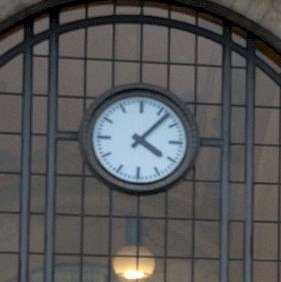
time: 4:07
